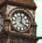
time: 12:21
